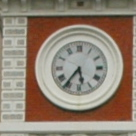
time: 5:36
